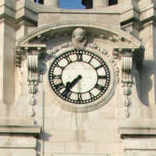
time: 7:36
